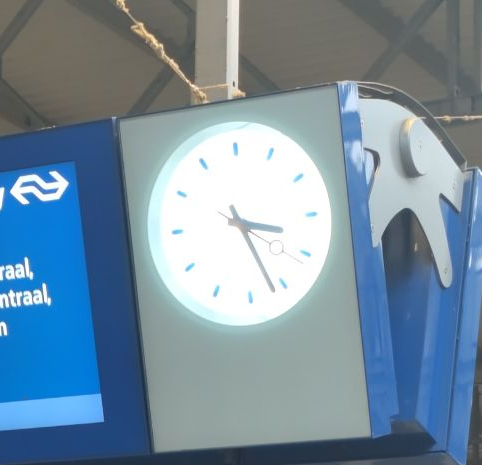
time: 3:26
